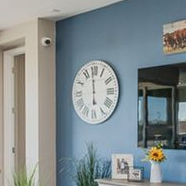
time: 5:59
